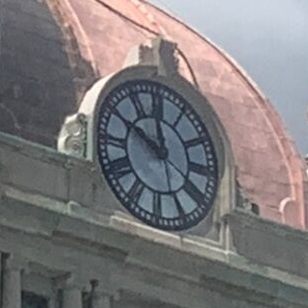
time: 11:50
